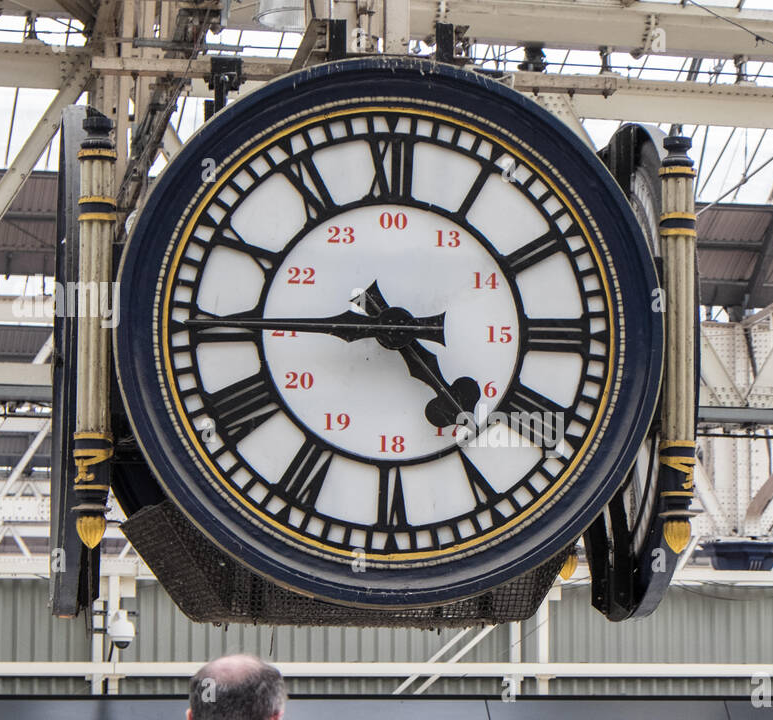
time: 4:44
